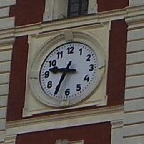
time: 9:34
